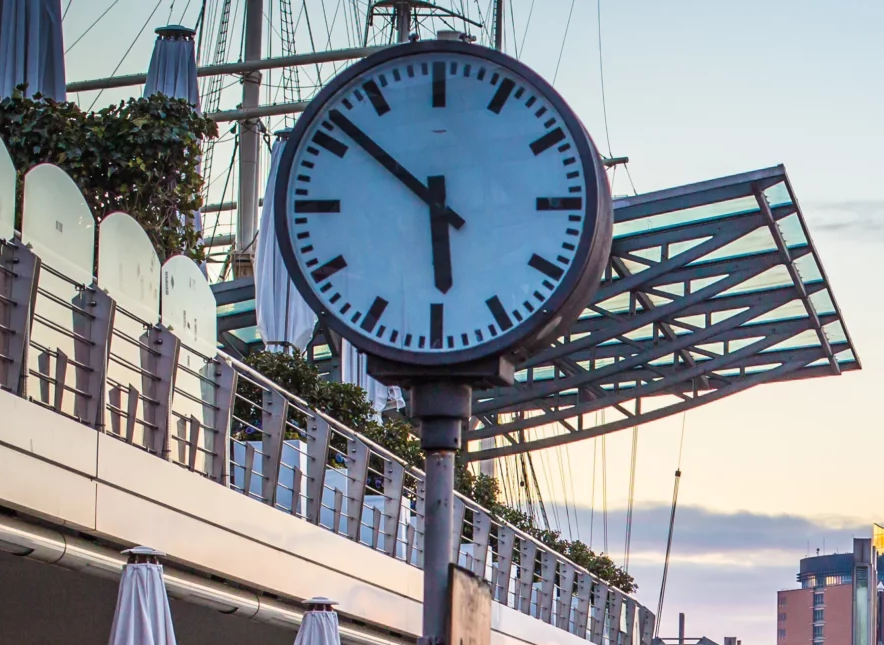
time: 5:51
